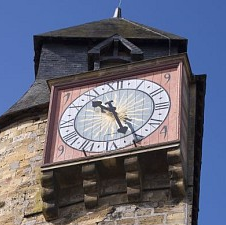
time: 10:26
